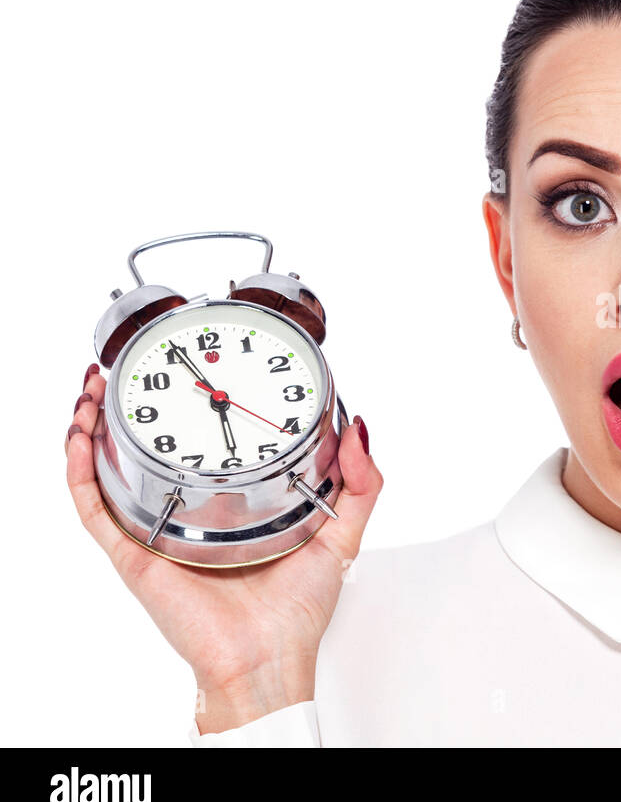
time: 5:55
